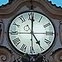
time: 5:00
